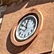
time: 11:50
